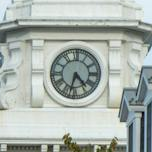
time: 4:32
